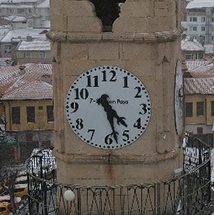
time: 4:27
